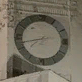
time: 7:42
